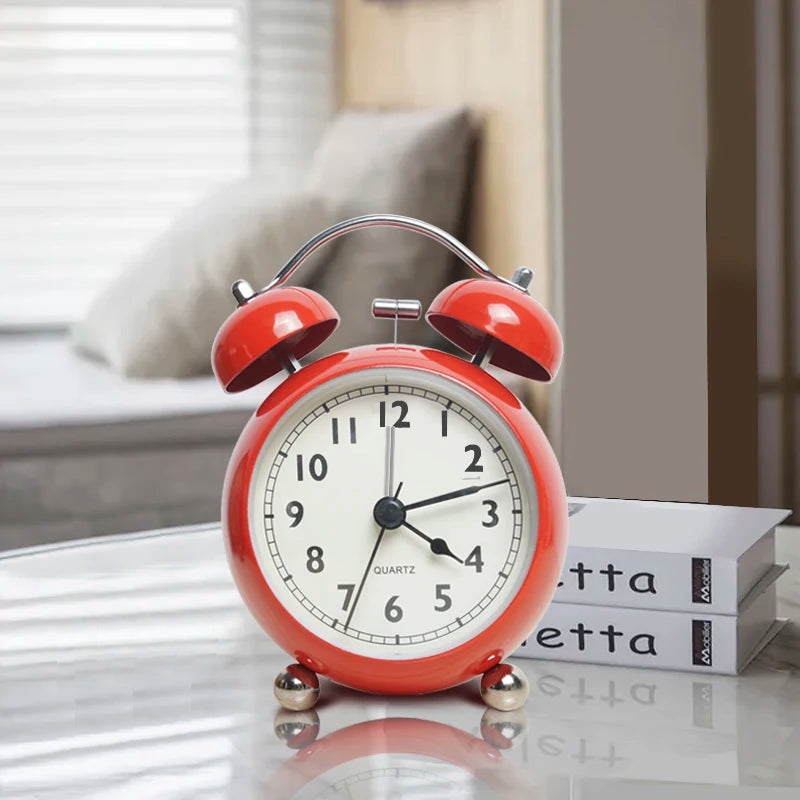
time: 4:12
